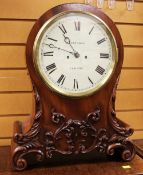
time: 10:48
